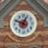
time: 12:48
